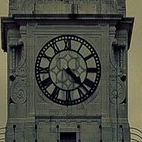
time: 4:22
